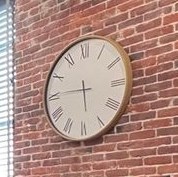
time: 5:45
